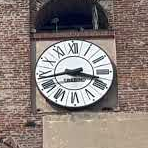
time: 3:43
